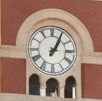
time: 1:04
